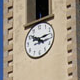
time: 10:13
